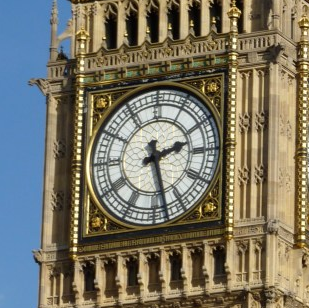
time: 2:27
